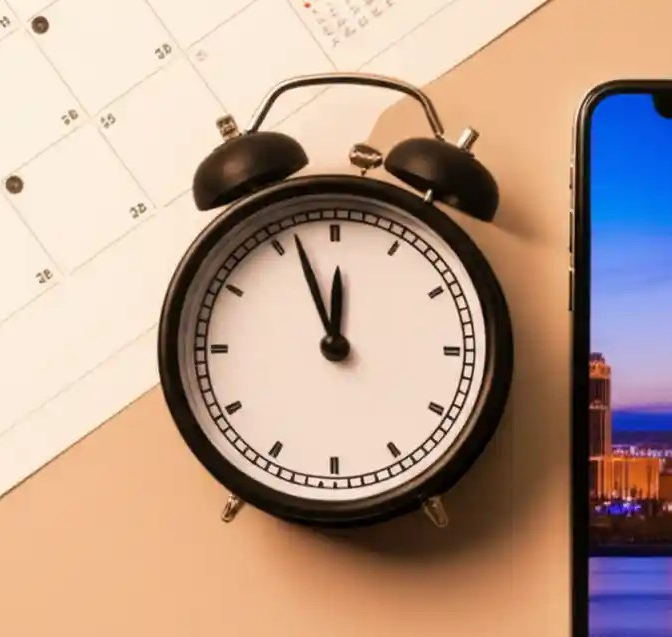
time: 11:56
